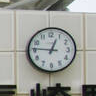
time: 12:46
